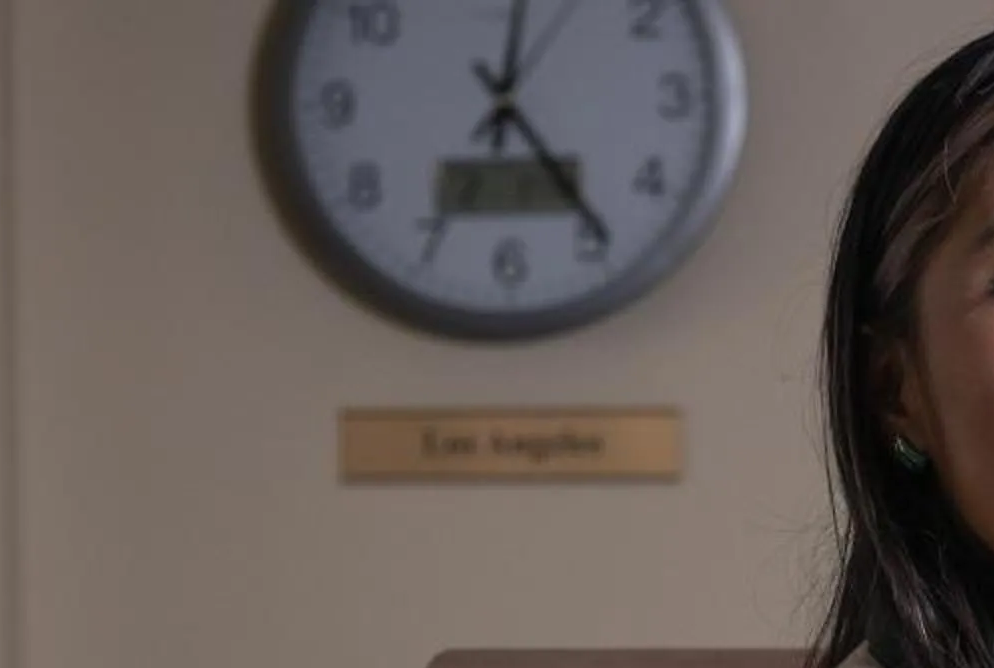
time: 12:24
